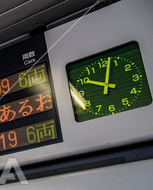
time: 10:02
